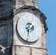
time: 7:32
